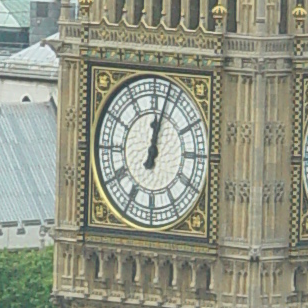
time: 12:02
